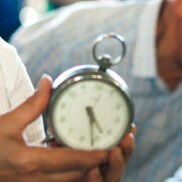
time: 4:26
